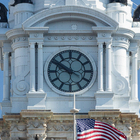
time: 9:50
